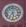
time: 5:35
